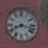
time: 8:17
